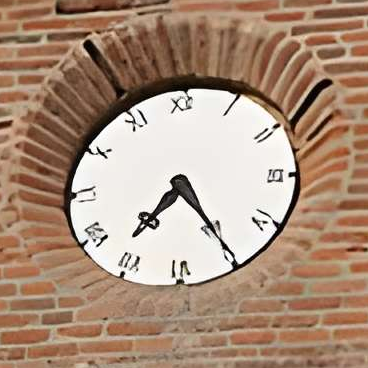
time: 7:24
